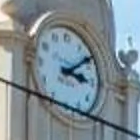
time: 3:09
